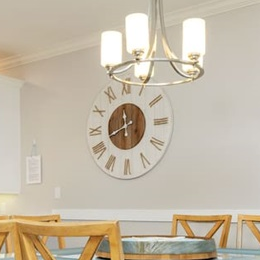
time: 11:41
